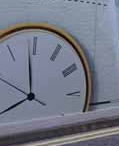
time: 7:59
